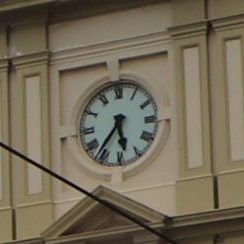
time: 5:36
